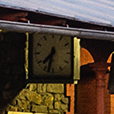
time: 7:32
